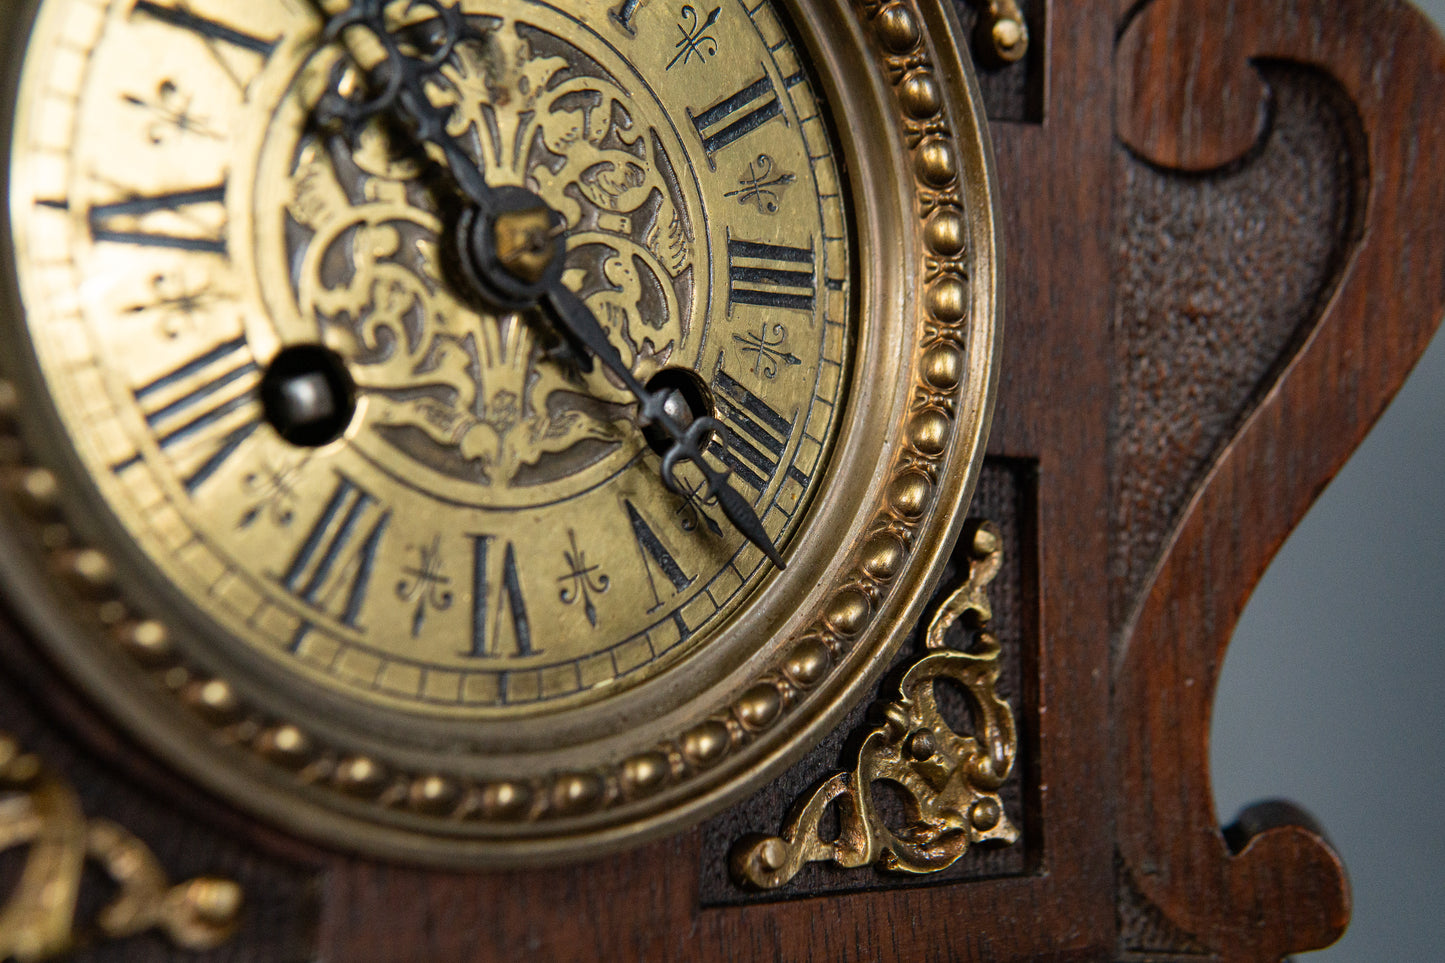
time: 10:20
